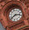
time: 2:37
